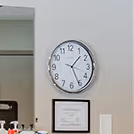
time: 1:26
